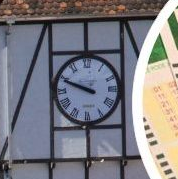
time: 9:48
